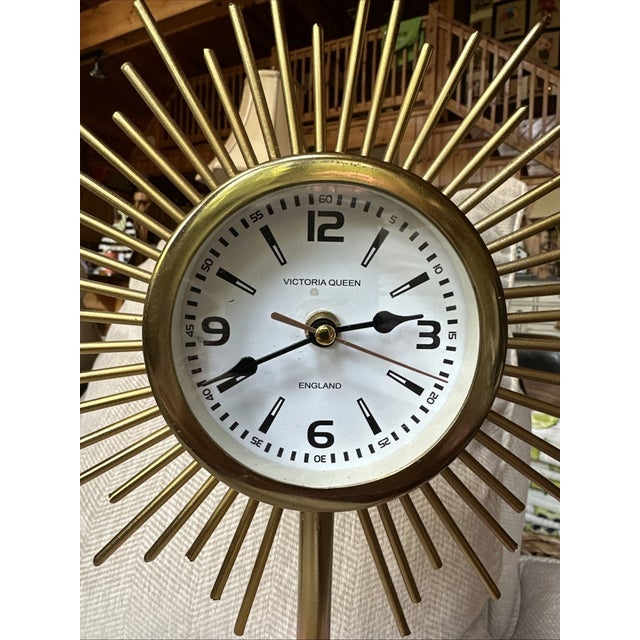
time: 2:40
